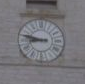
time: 8:47
